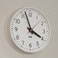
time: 3:57
